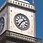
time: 1:36
